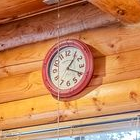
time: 1:19
